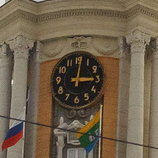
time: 3:01
